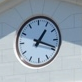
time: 1:18
